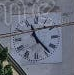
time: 11:23
